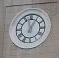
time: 12:57
